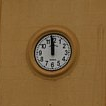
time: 11:58
